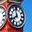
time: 7:58
